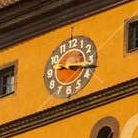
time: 9:17
